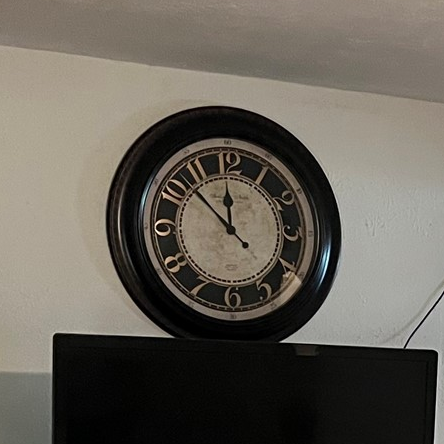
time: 11:52
